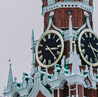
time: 3:23
